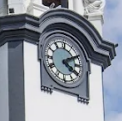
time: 4:10
